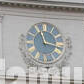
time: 11:17
